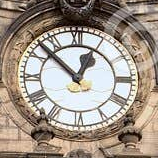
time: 12:52
